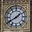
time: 1:40
